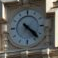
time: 4:22
